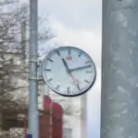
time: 11:12
